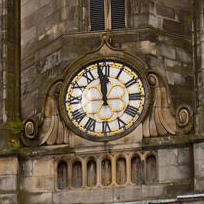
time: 11:58
